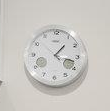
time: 1:17
